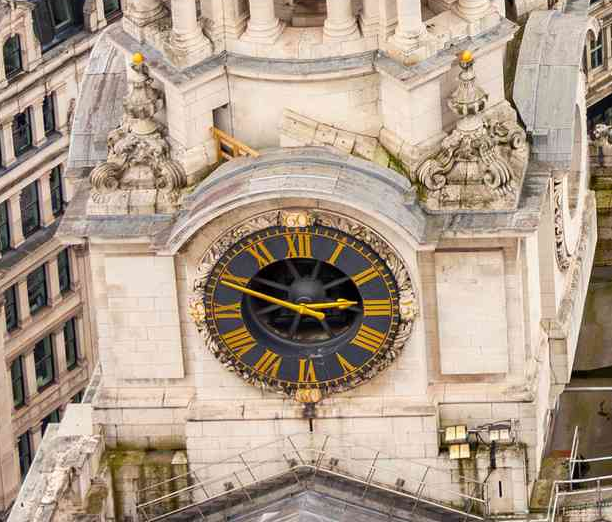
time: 2:48
